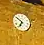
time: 6:50
